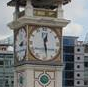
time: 12:28
